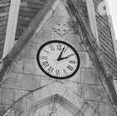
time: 2:03
